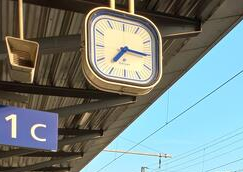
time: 7:15
